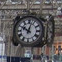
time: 10:02
